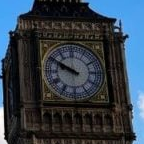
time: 9:50
